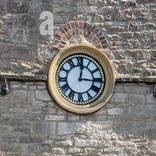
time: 3:01
